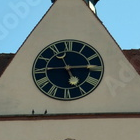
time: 5:13
